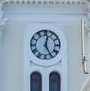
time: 12:24
